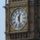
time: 12:27
